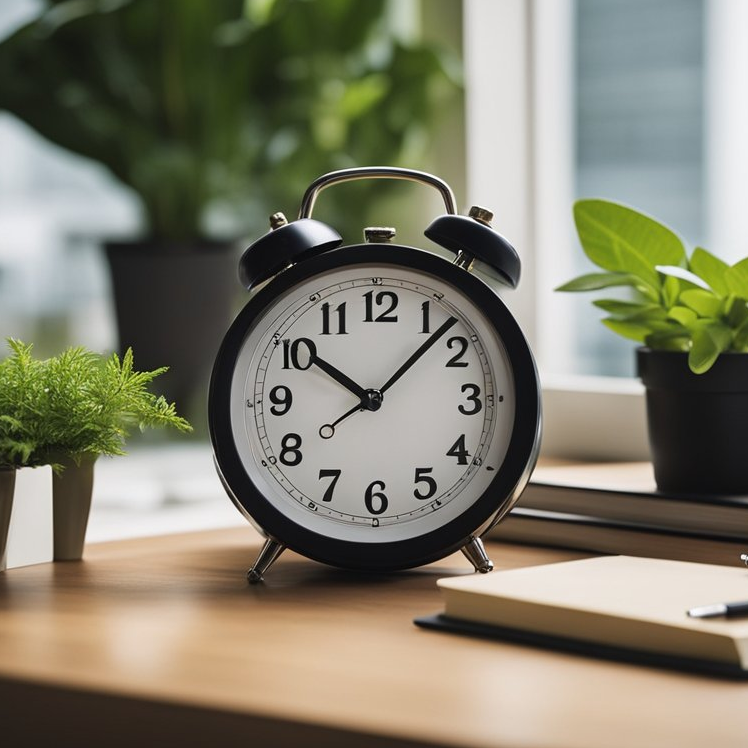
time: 10:07
